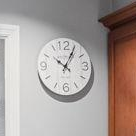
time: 10:05
